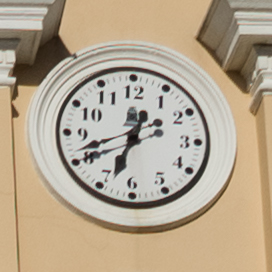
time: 6:41
